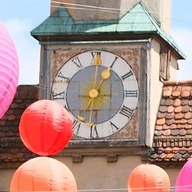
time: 1:01
